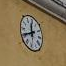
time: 11:40
